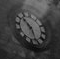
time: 10:26
